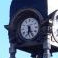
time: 6:25
